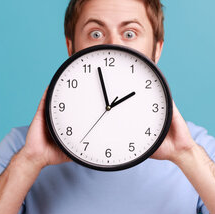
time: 1:57
